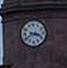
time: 3:40
